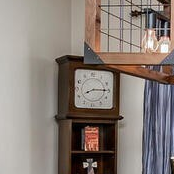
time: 8:14
